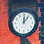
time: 12:06
